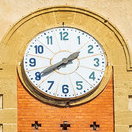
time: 1:39
